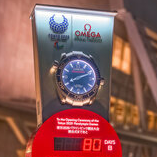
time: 8:11
